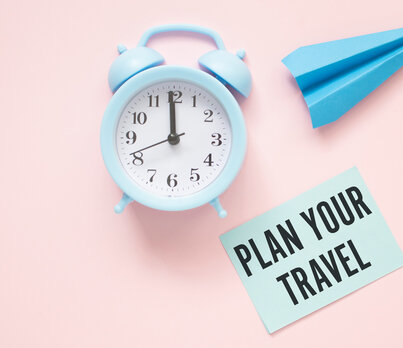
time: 11:59
